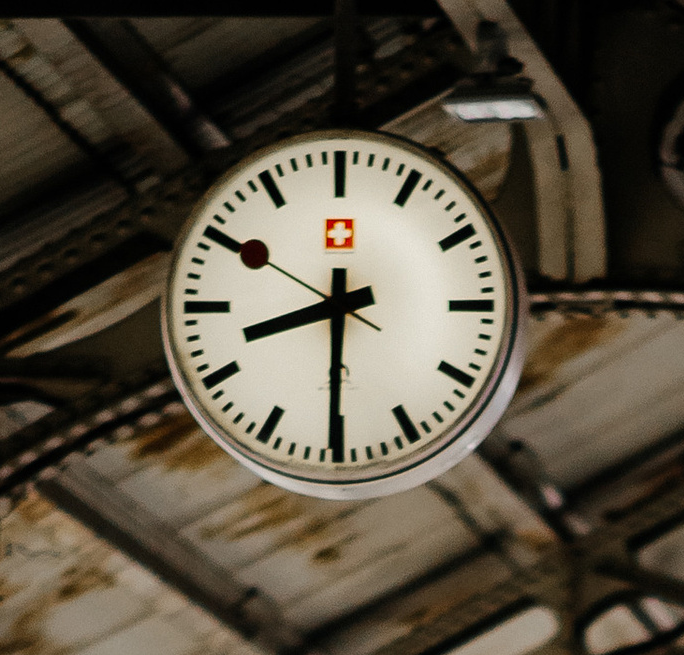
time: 8:30
